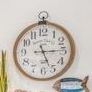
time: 5:14
